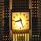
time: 8:26
